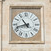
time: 10:42
